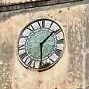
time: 1:29
